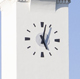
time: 5:02
